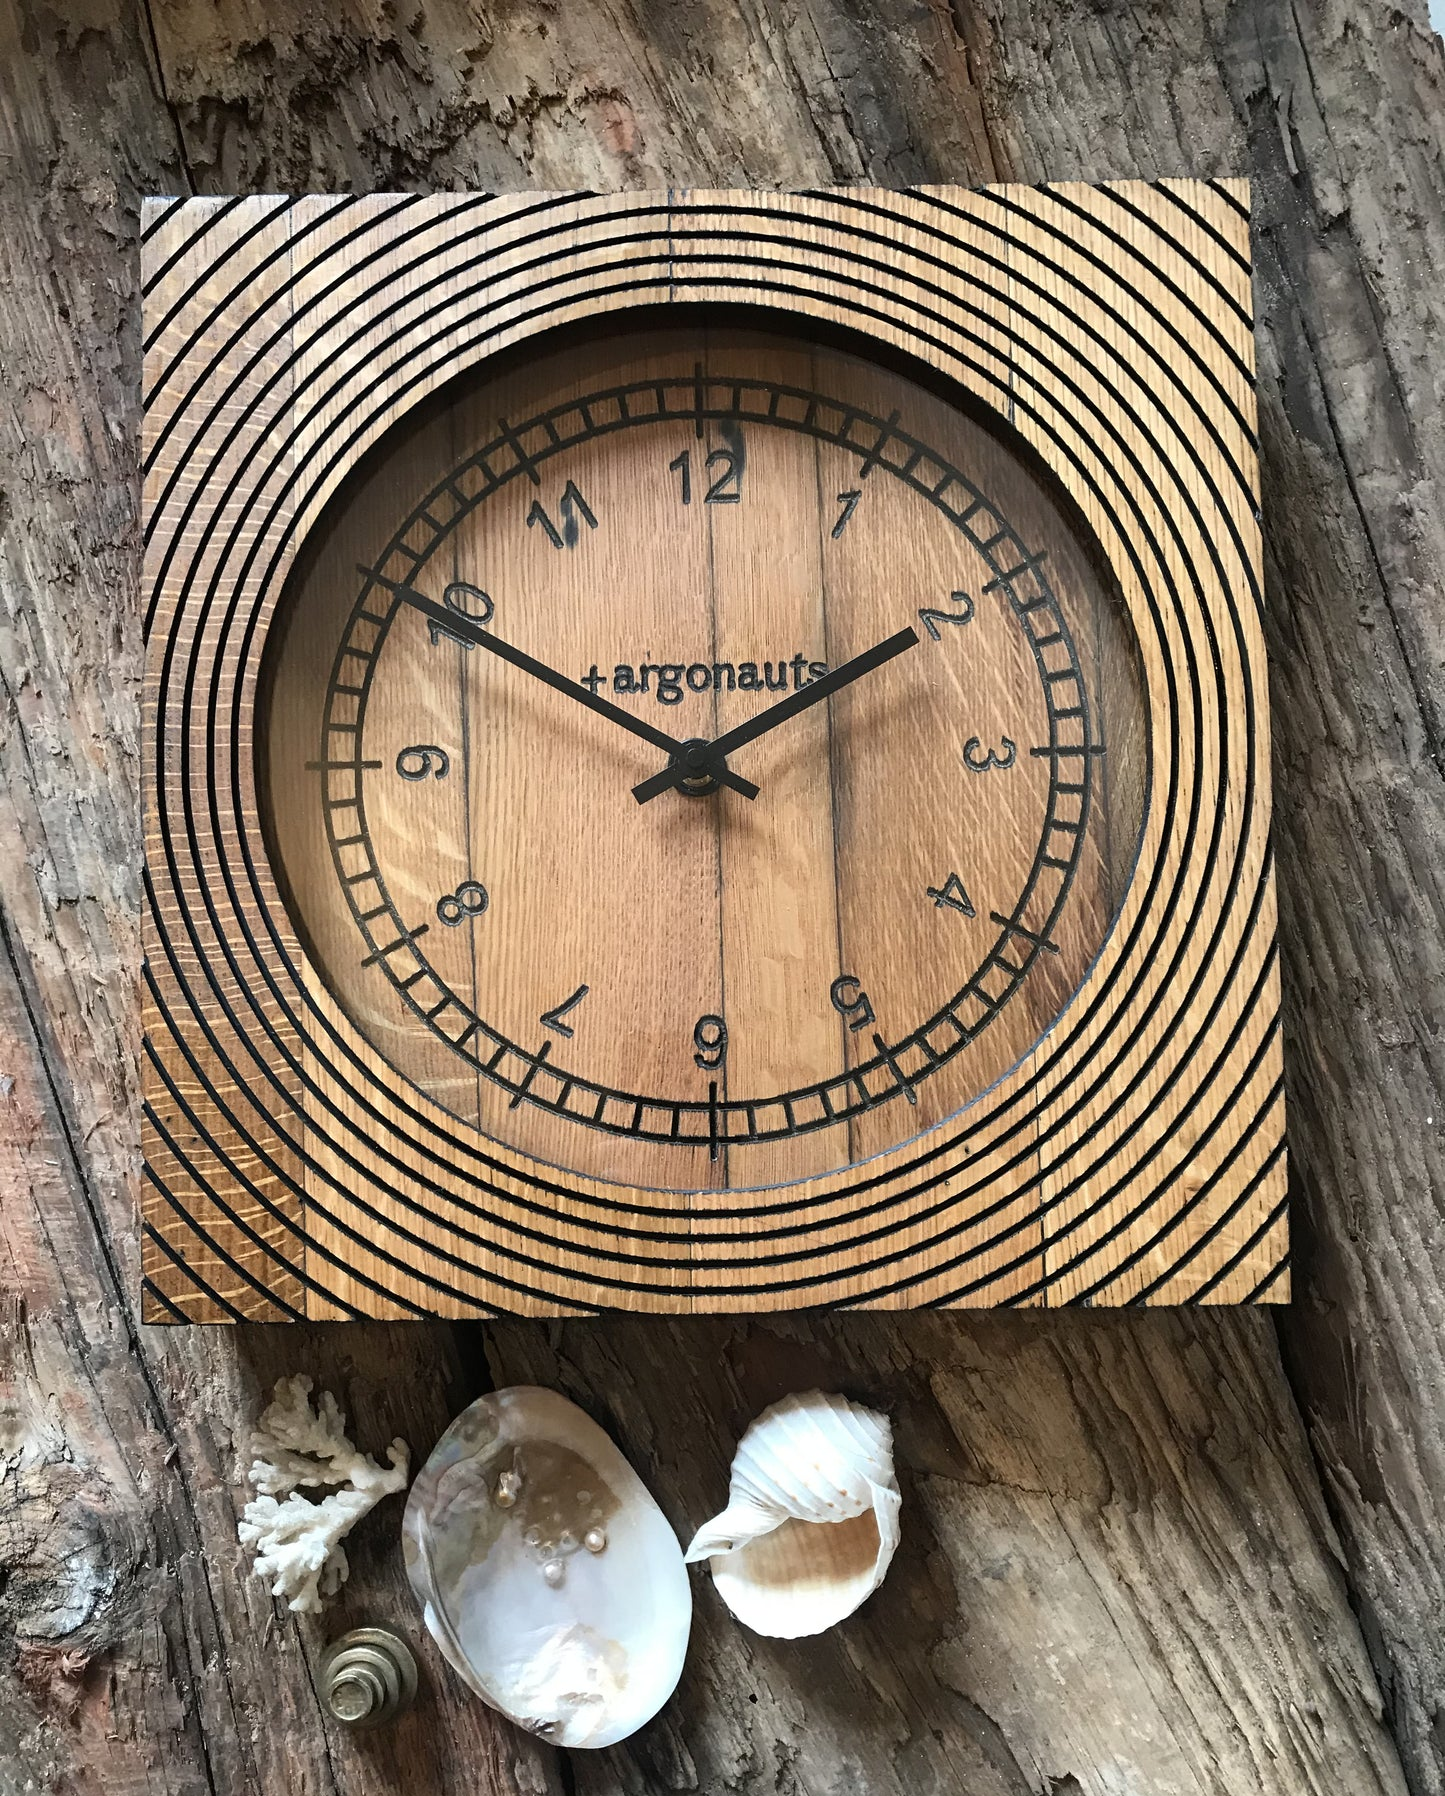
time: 1:50
